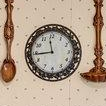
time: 11:44
